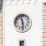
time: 11:29
